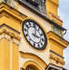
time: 3:01
